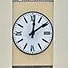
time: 12:09
